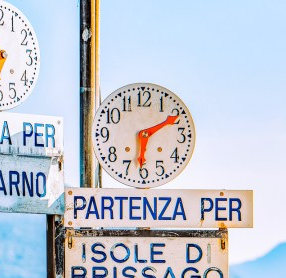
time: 6:10
